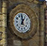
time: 12:59
